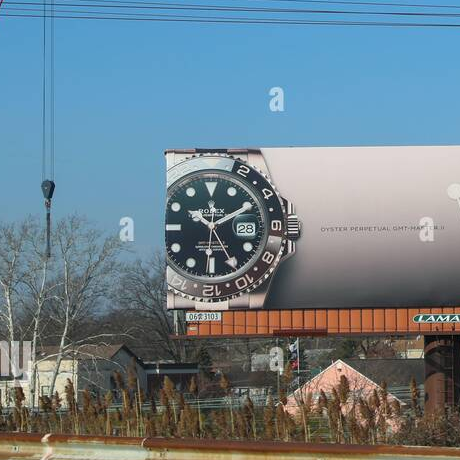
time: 10:10
